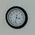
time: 3:32
